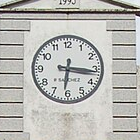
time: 6:16
